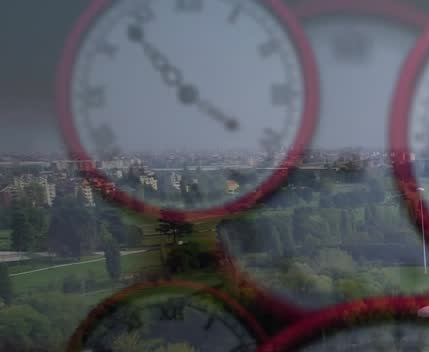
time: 3:53
